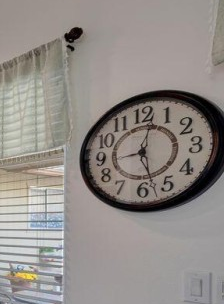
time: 12:27
